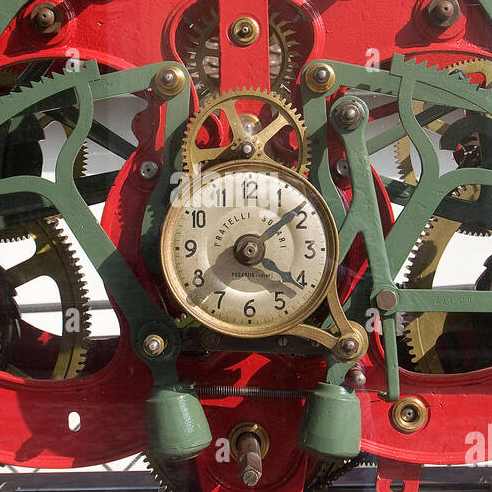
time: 4:08
